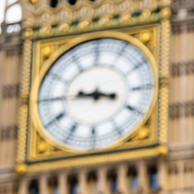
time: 3:44
